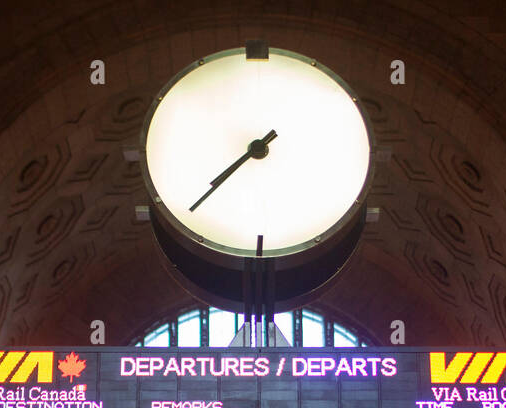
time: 7:37
